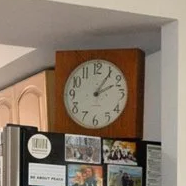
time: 2:05
